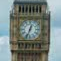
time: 12:33
